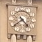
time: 4:38
